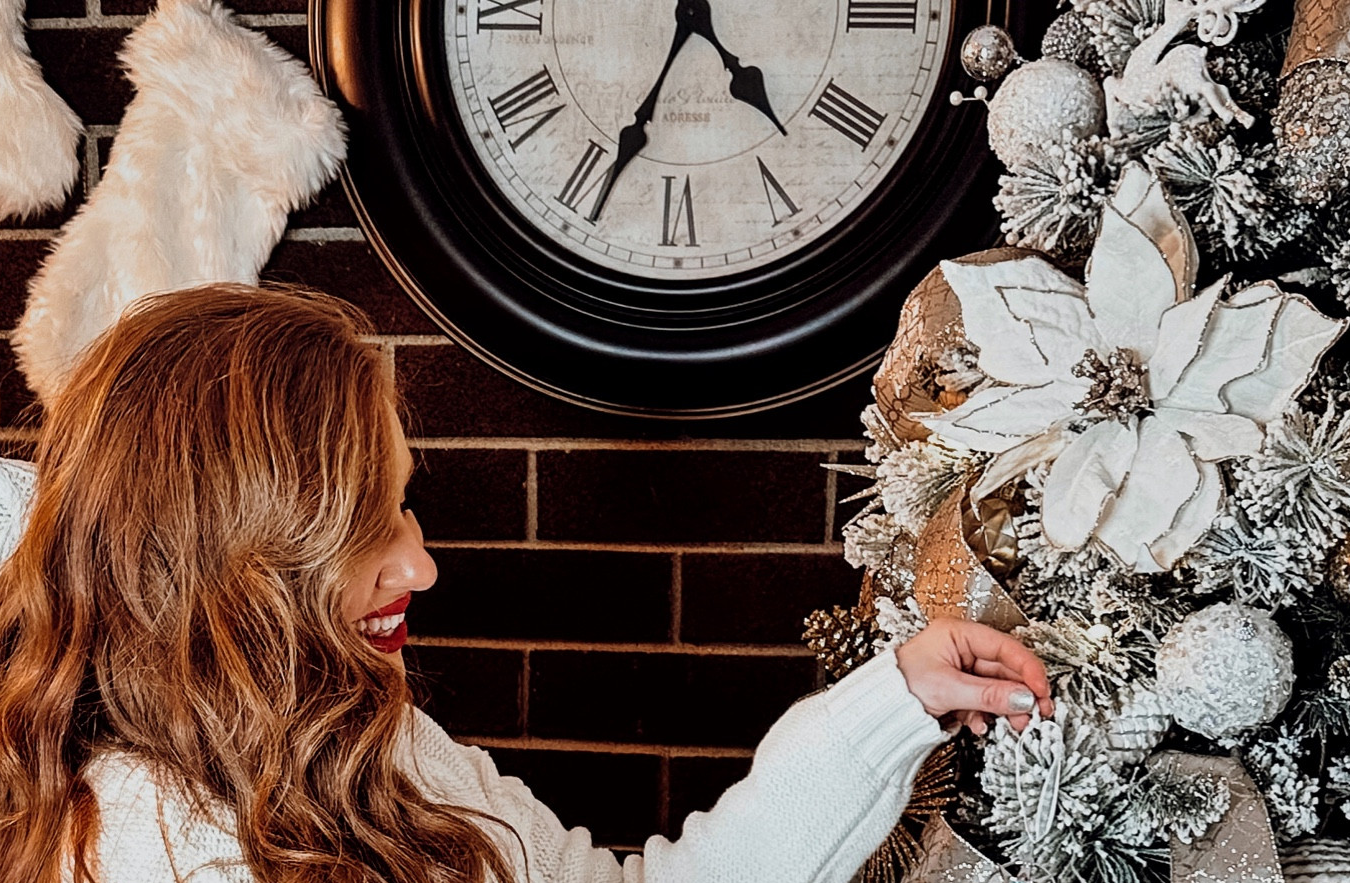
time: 4:34
